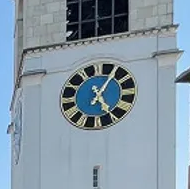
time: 5:05
